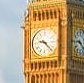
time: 9:22
